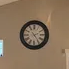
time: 2:24
